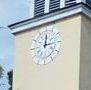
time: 12:14
